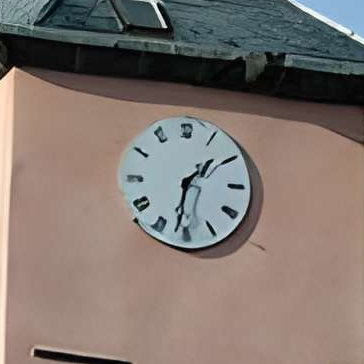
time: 1:31
